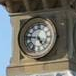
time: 4:46
